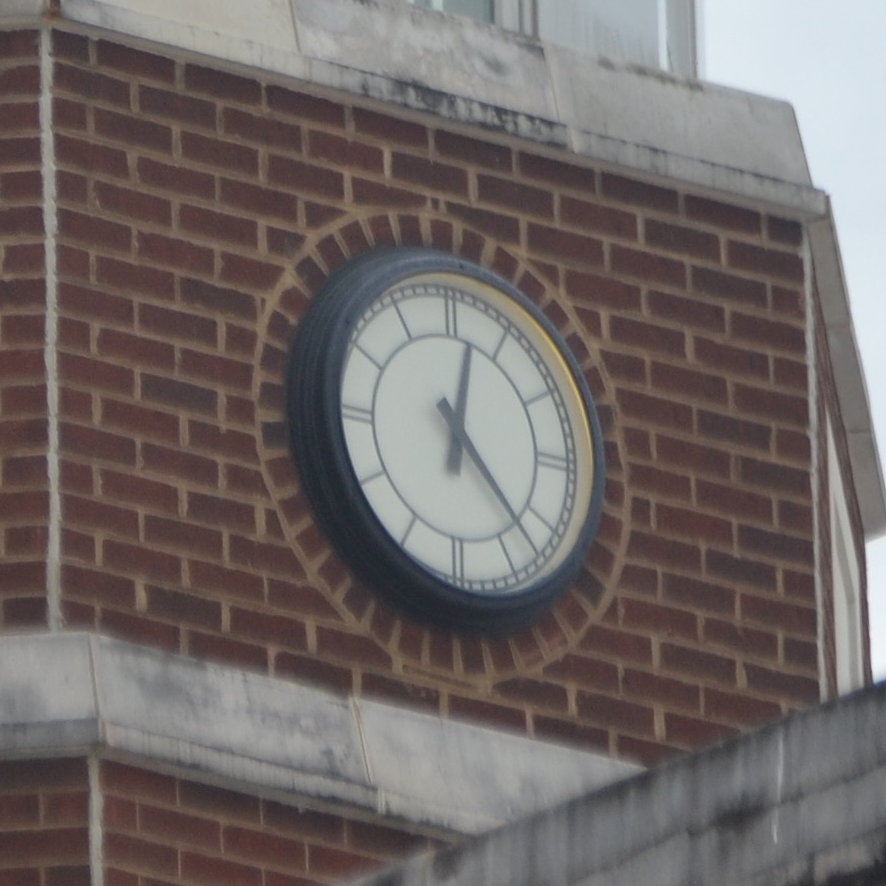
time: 12:22
